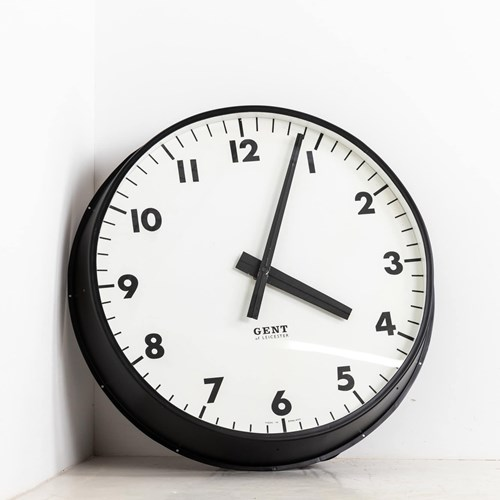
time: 4:03
